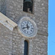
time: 11:41
